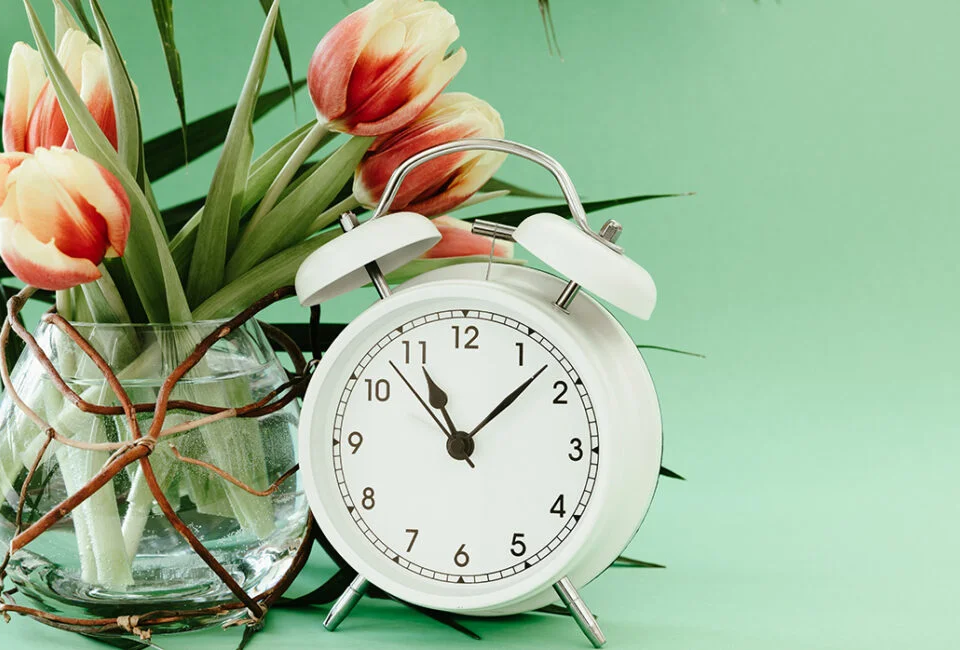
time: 11:07
